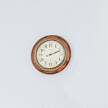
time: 2:11
